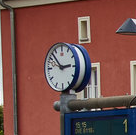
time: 2:52
